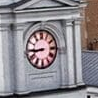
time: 8:44
